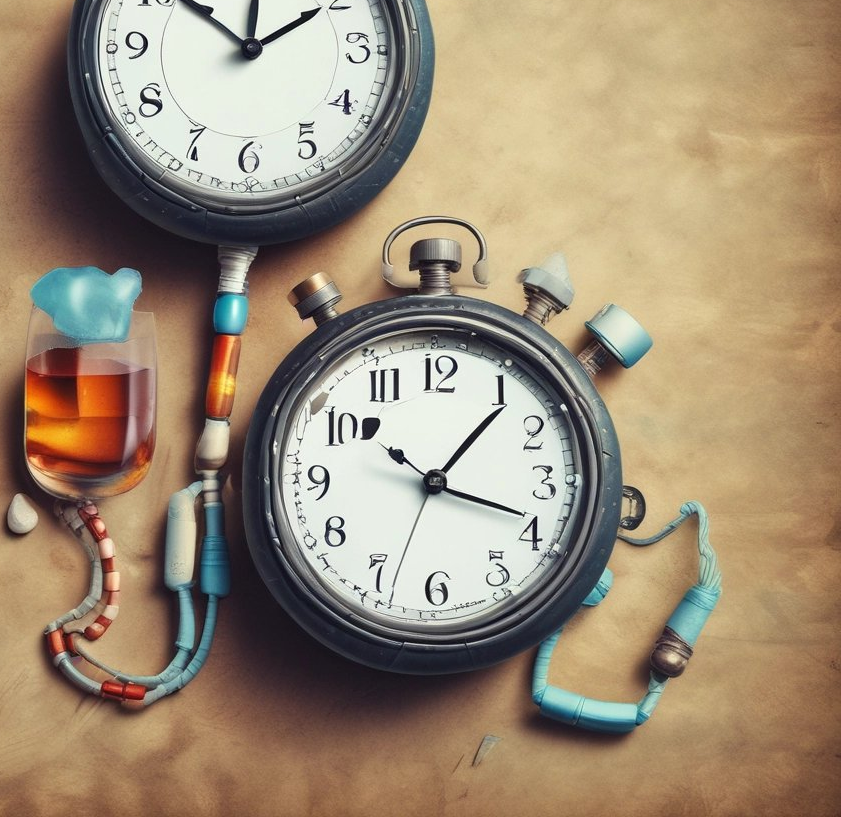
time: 1:18
